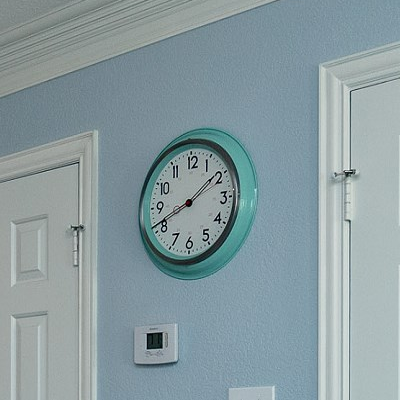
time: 1:41
